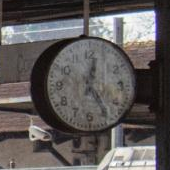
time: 12:24
